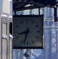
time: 8:32
